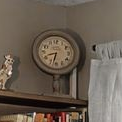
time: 8:32
